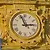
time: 2:56
